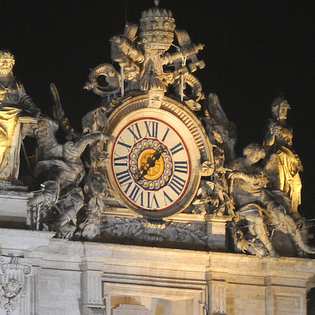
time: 1:36
